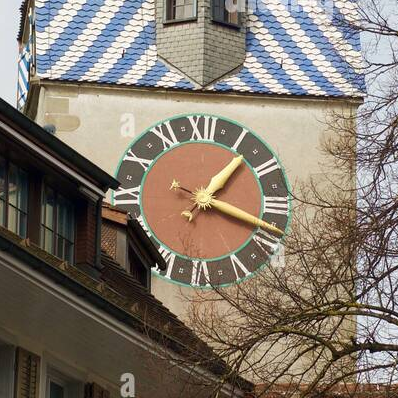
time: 1:18
